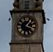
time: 1:18
